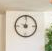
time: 9:01
